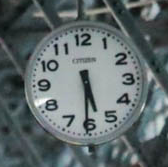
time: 5:30
